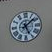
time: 5:08
